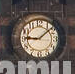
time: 9:08
